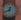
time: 12:41
